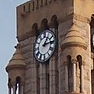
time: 1:13
